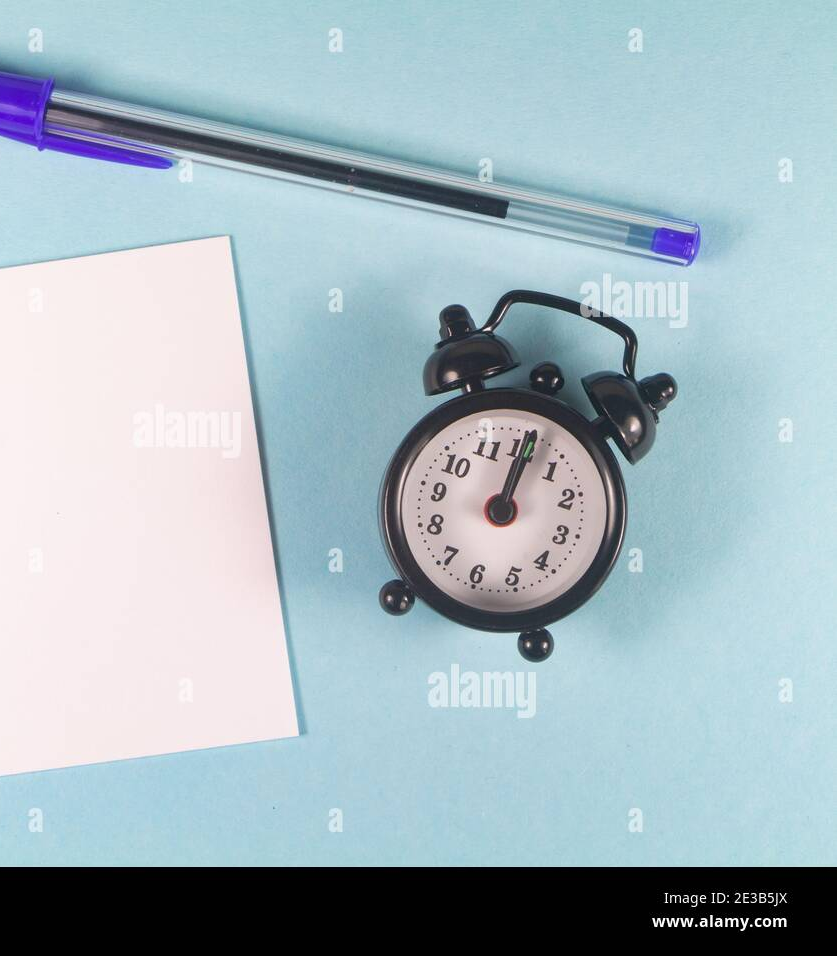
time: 12:01
